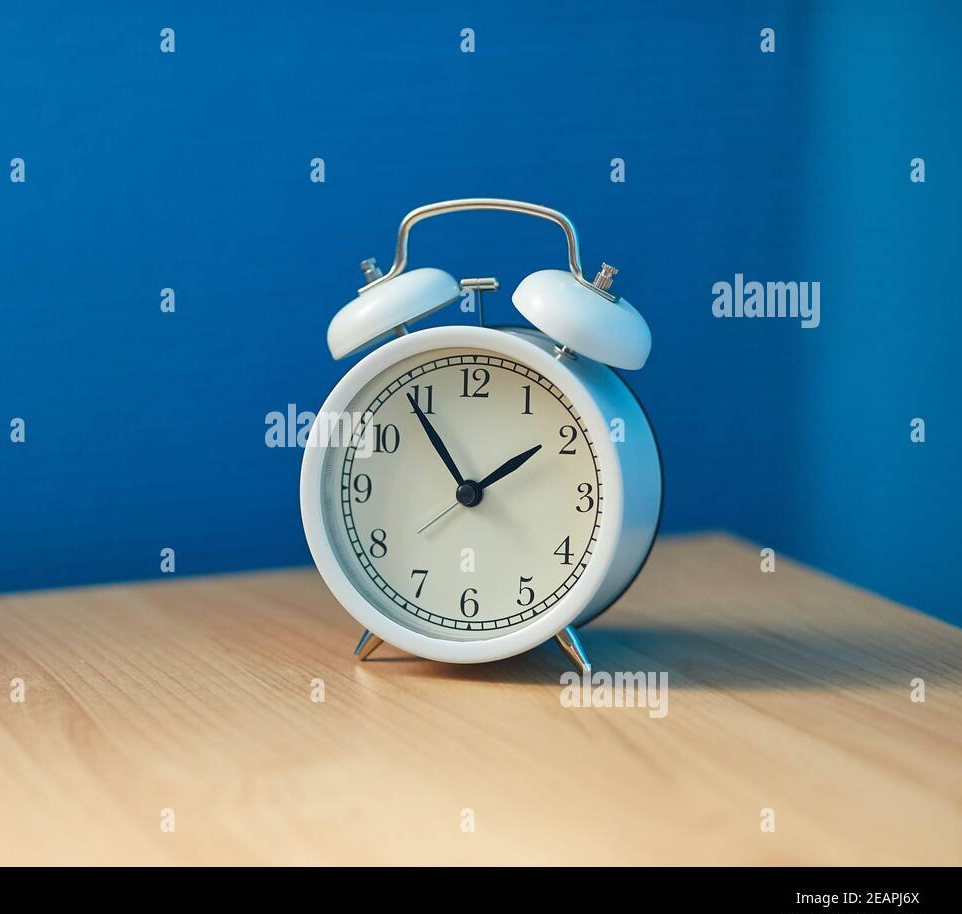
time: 1:54
